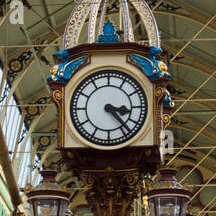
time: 3:23
